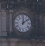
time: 12:08
